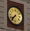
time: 7:37
